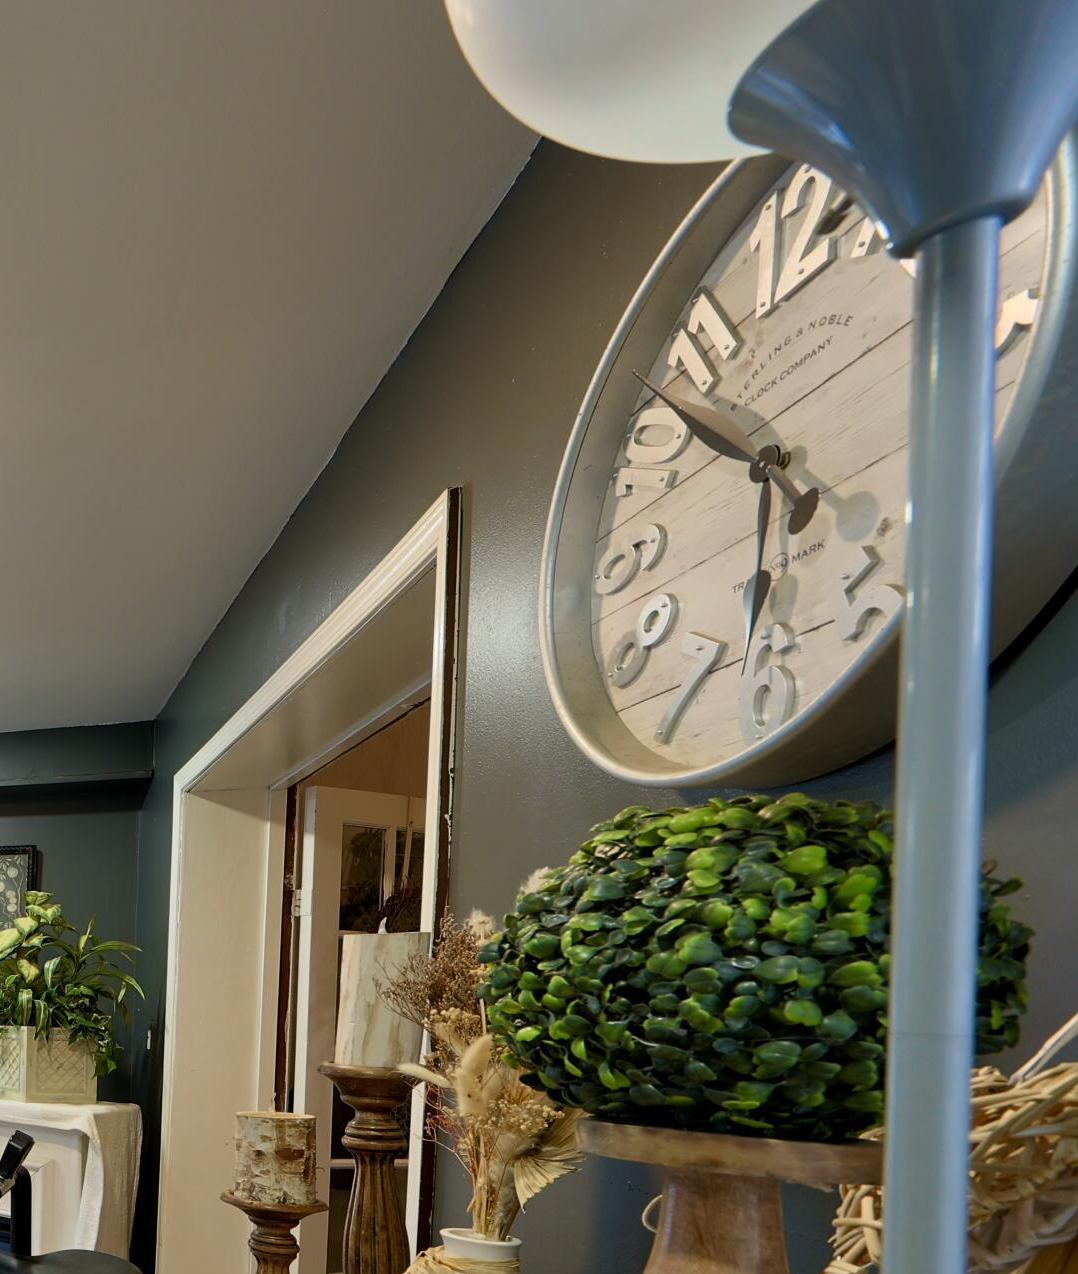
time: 5:51
